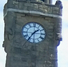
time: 1:36
